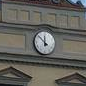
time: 11:52
